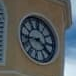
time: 3:43
